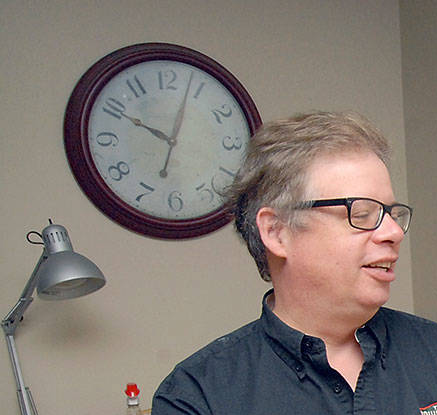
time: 10:03
